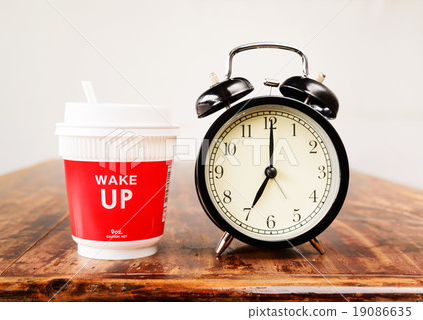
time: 7:00
